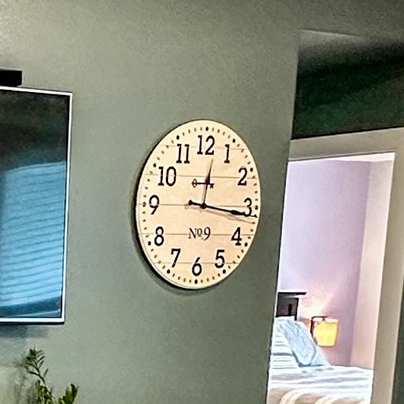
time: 12:16
